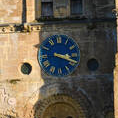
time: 3:18
